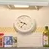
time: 9:36
